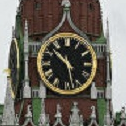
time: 10:28
